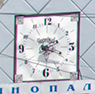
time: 2:18
